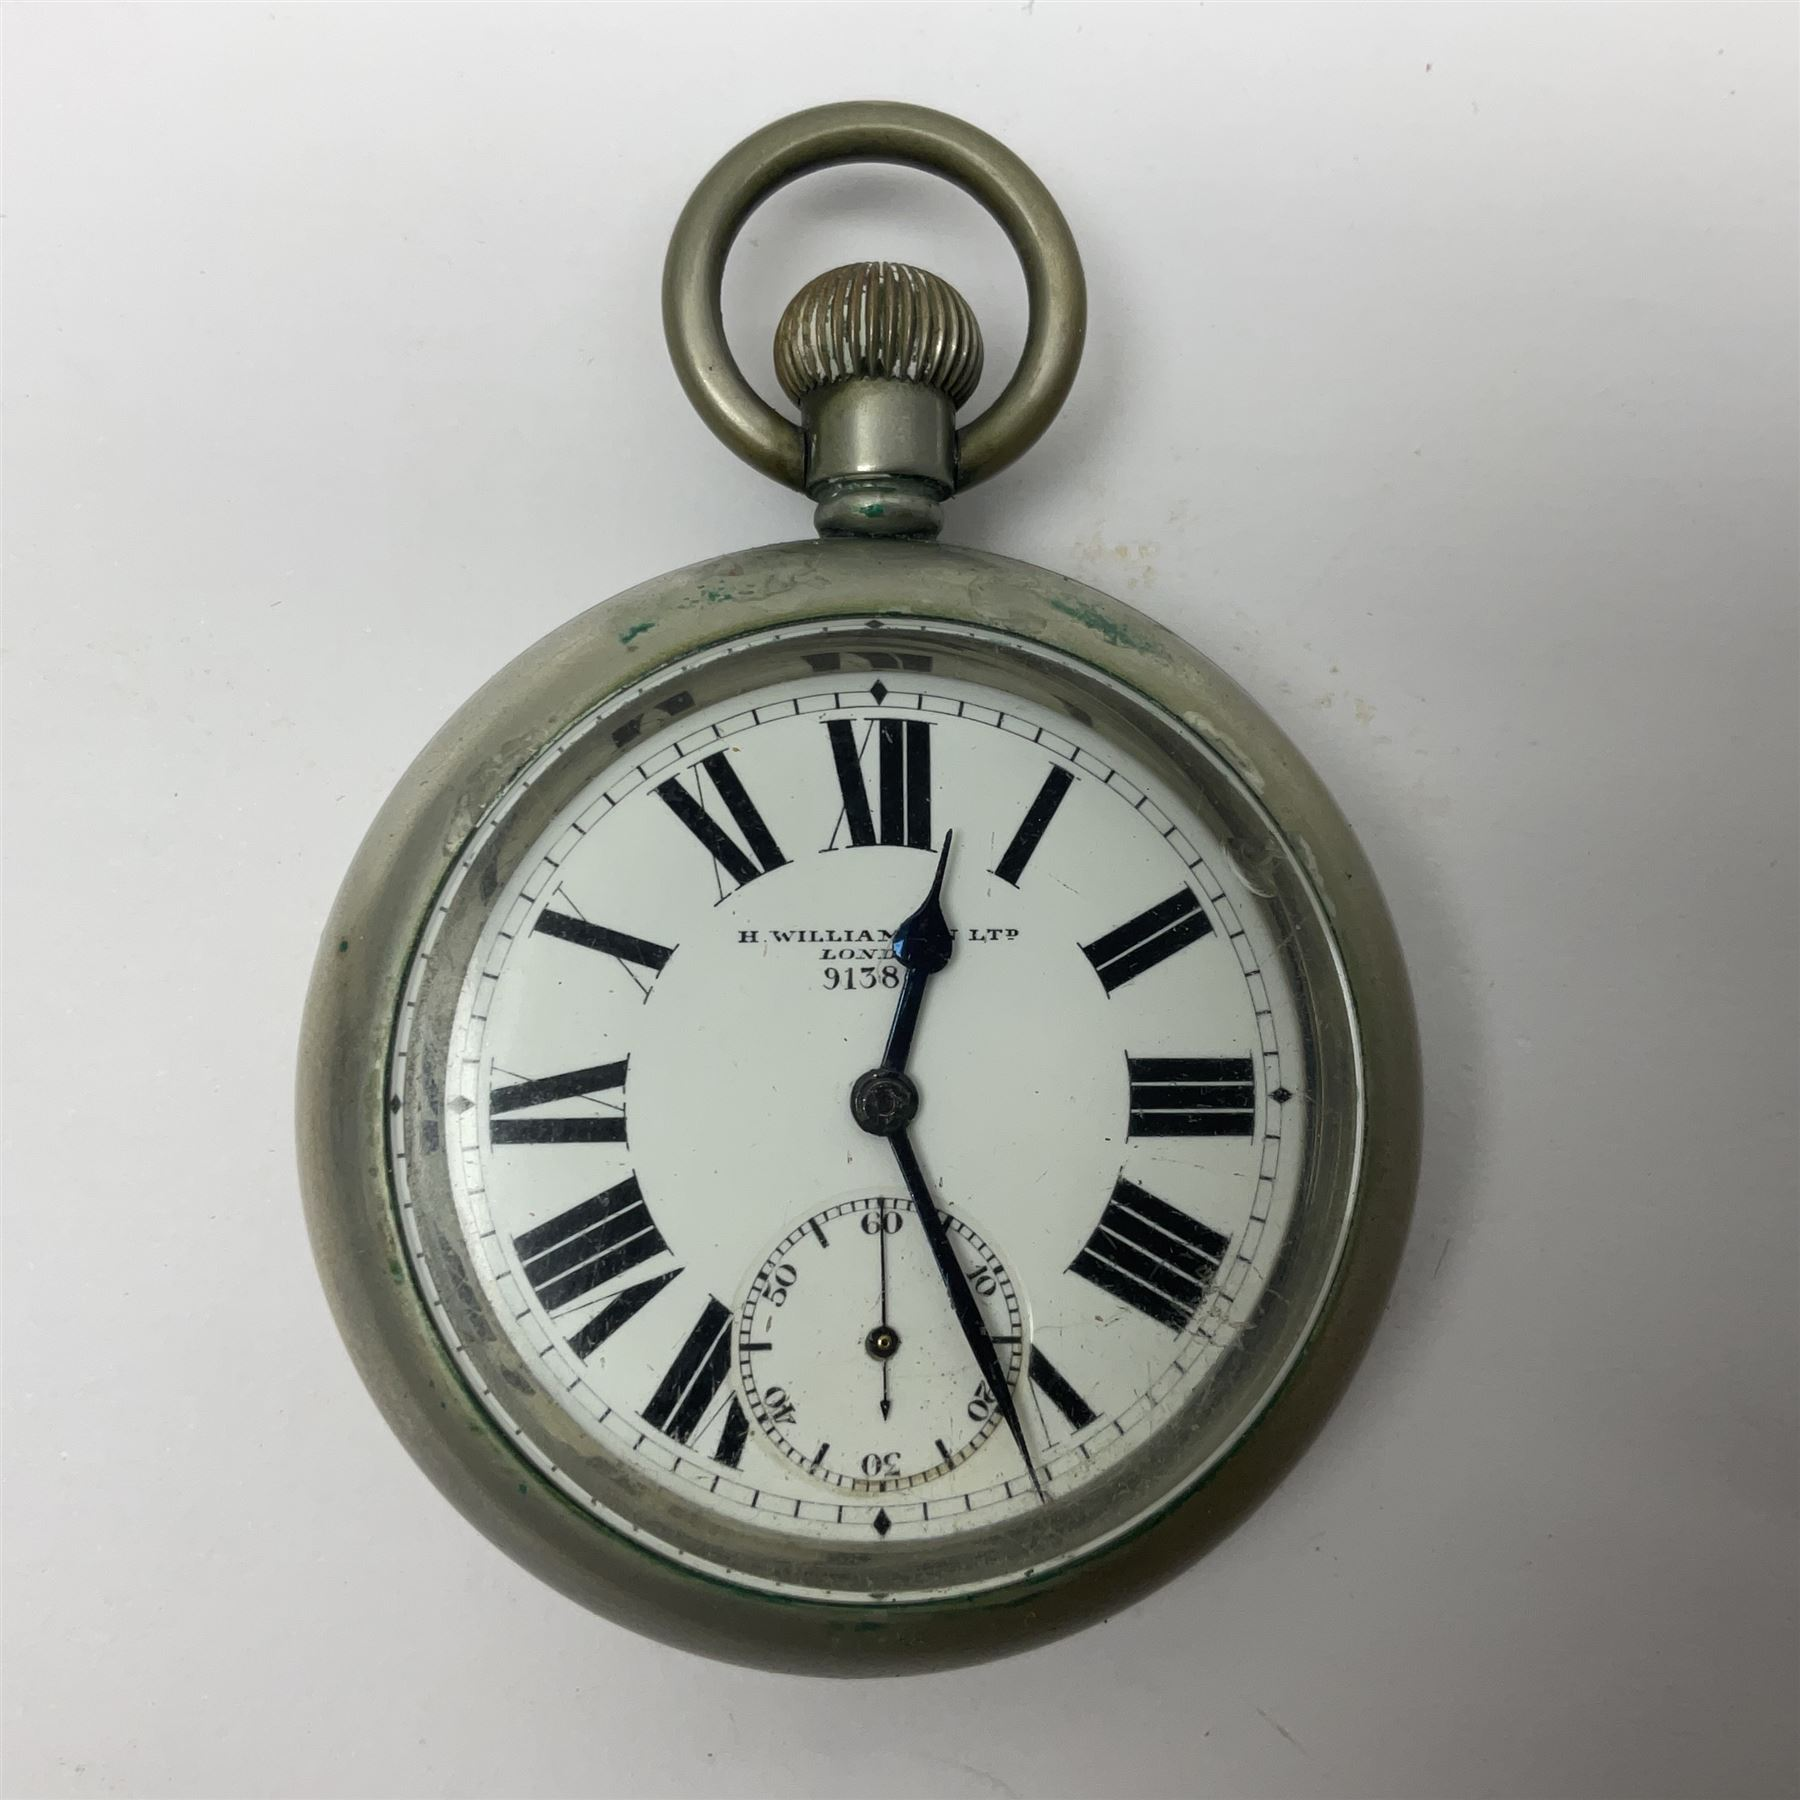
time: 12:26
